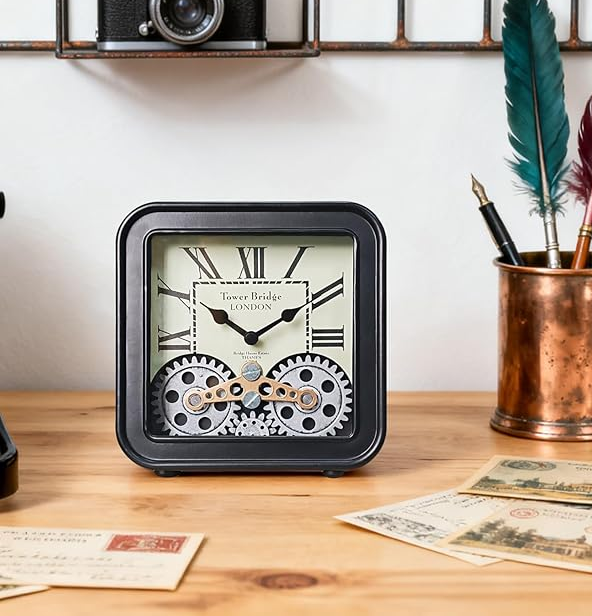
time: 10:09
